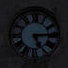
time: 5:14
